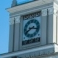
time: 8:16
